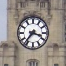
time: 3:36
